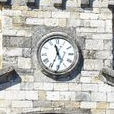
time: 11:34
